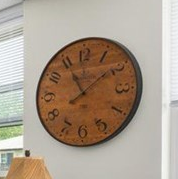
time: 11:08
